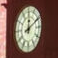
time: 12:10
